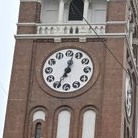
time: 7:02
